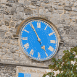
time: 4:55
